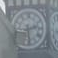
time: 2:29
